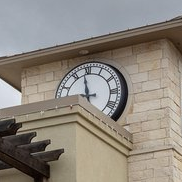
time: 3:58
